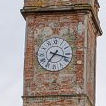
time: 7:17
